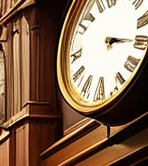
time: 3:15
